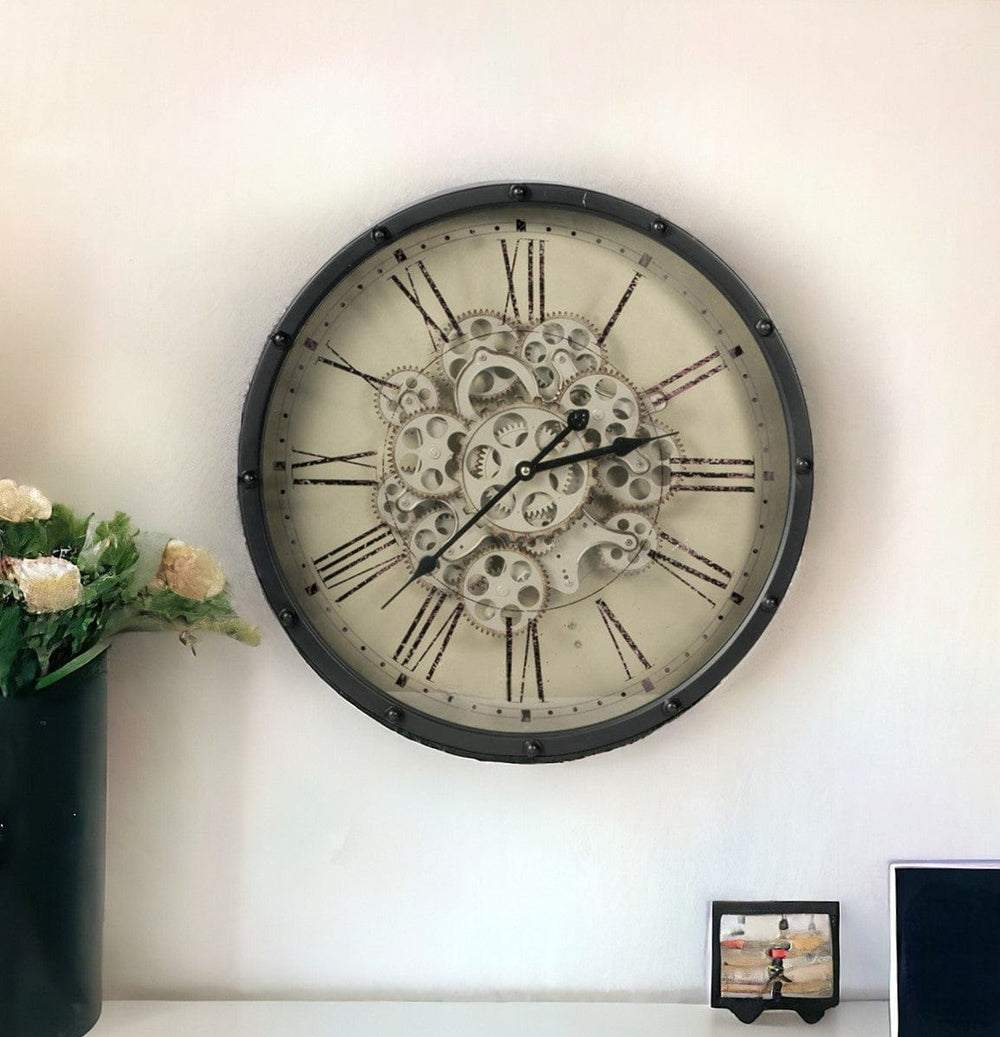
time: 2:37
